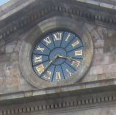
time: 3:37
